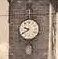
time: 9:40
